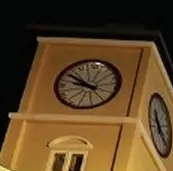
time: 9:51
